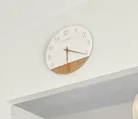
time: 6:20
